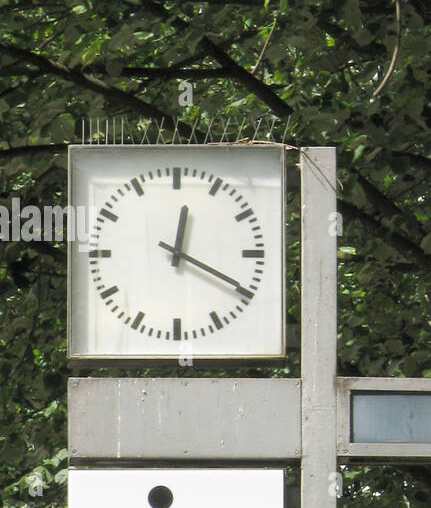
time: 12:19
